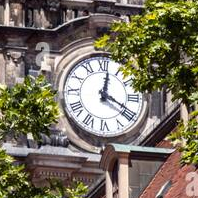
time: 12:20
